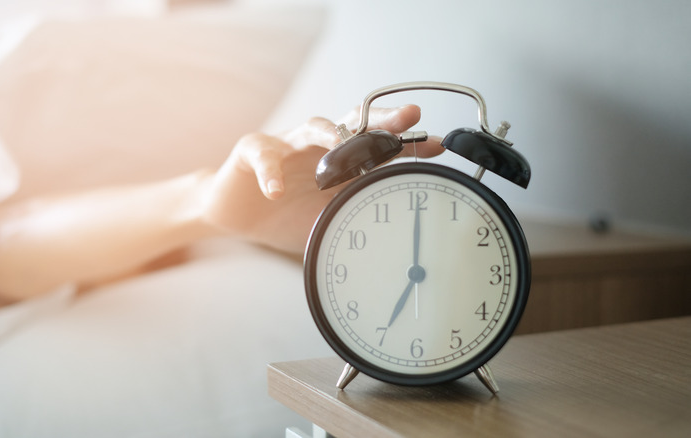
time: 7:00
